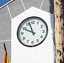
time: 9:56
